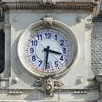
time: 3:31
